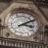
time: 3:09
